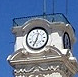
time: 12:34
